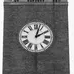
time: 2:02
